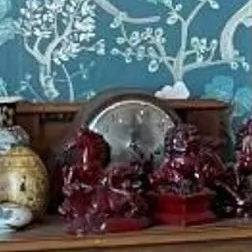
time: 12:23
